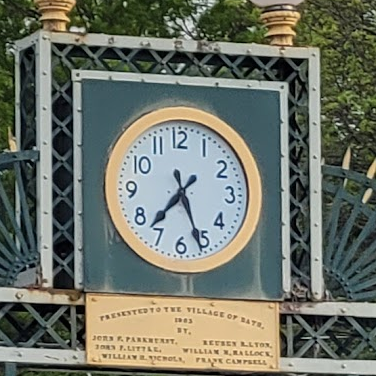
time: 7:26
